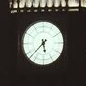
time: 5:37
